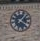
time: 1:20
